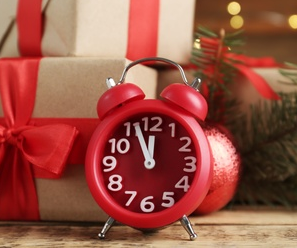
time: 11:56
